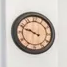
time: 9:48
